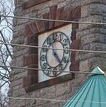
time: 11:23
